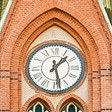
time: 1:28
